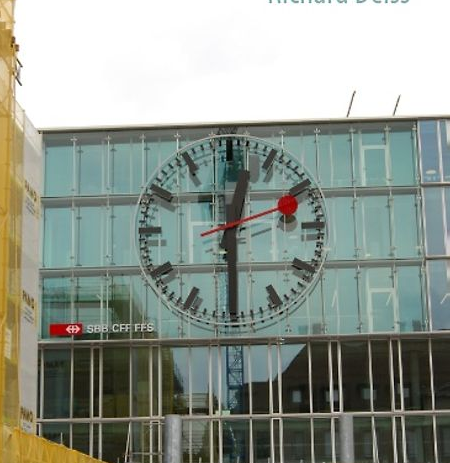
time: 12:29
